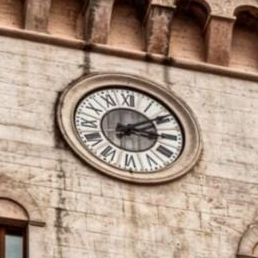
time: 3:09
